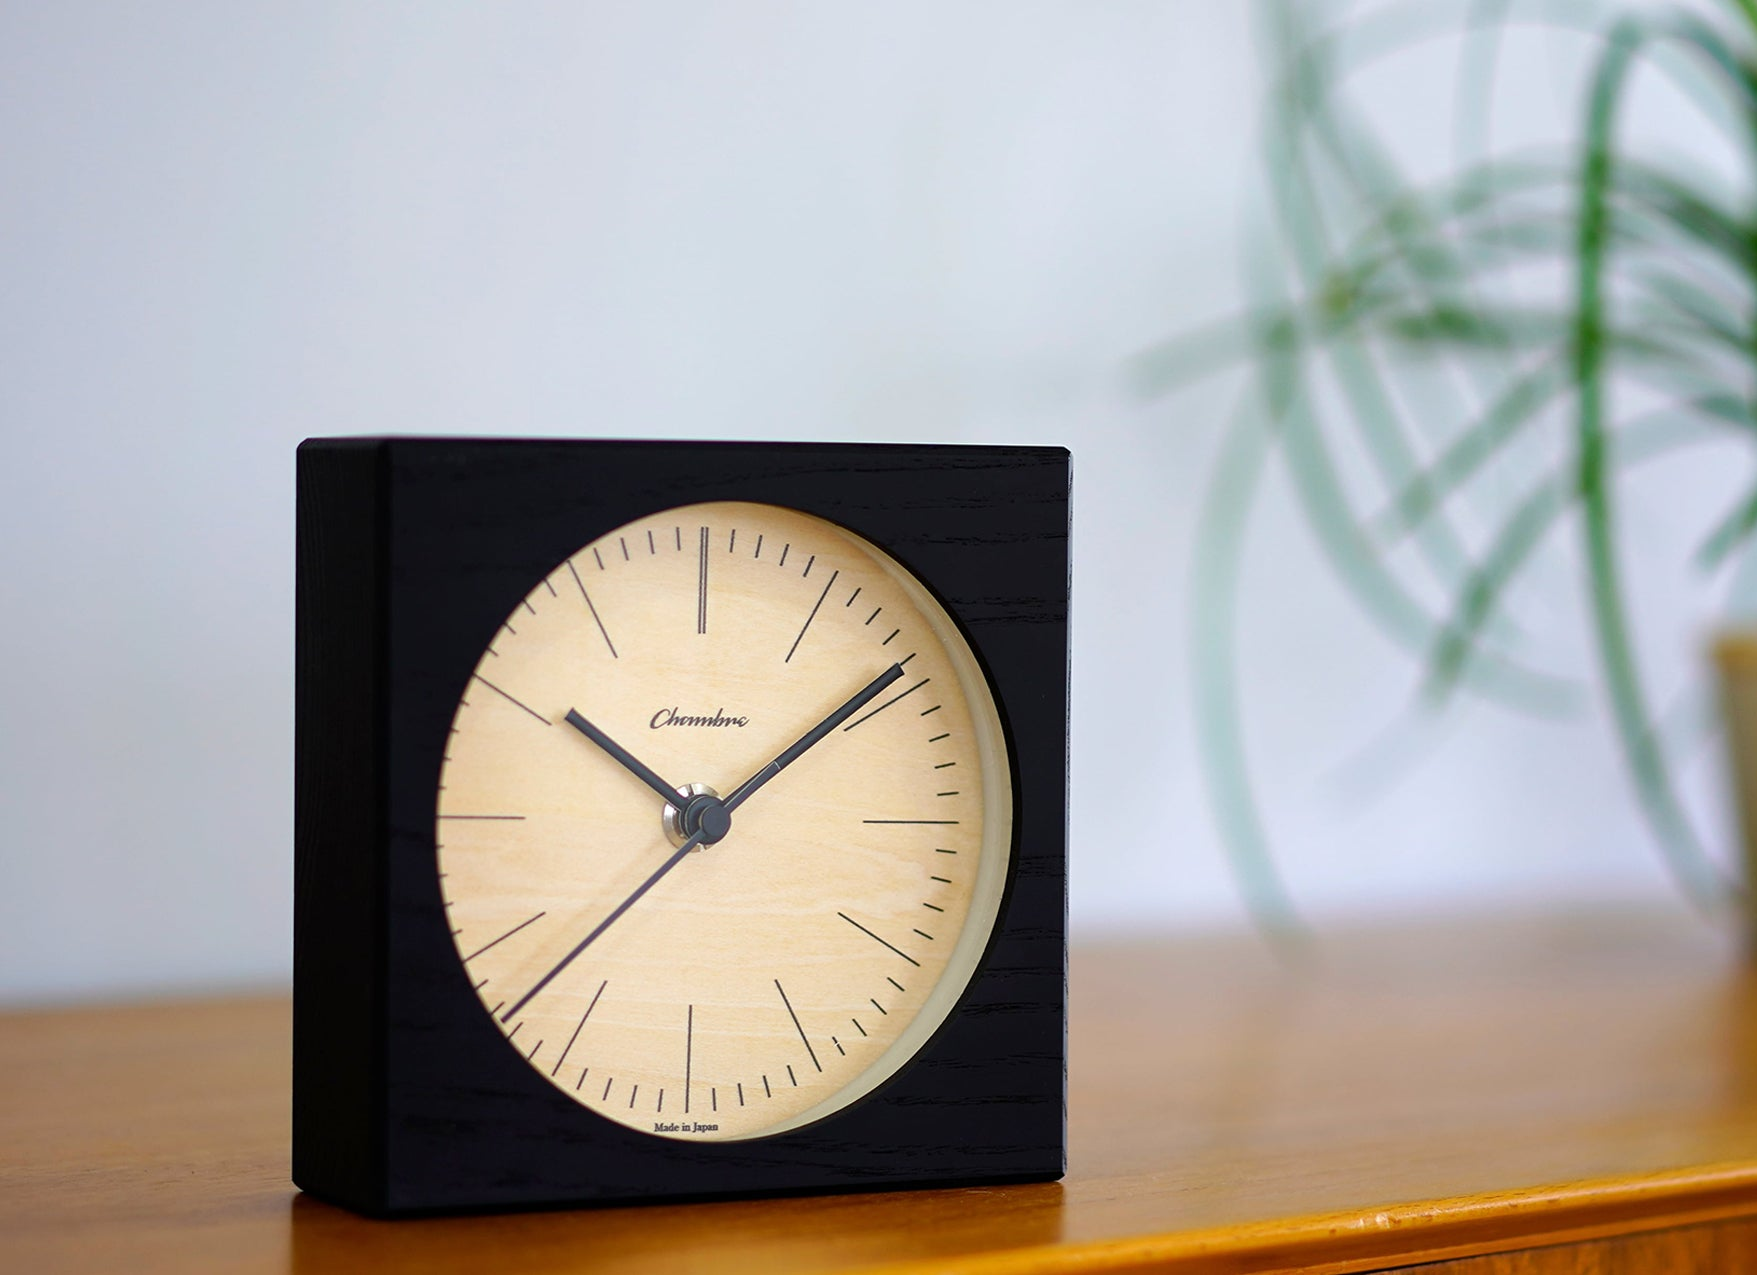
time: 10:08
